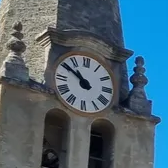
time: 10:50
